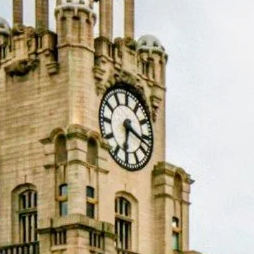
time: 6:17
